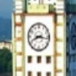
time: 8:16
